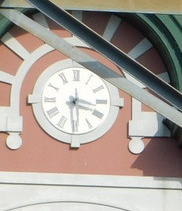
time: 3:29
